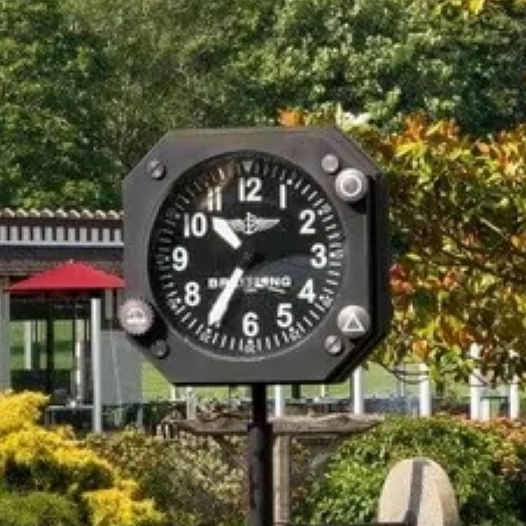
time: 10:35
